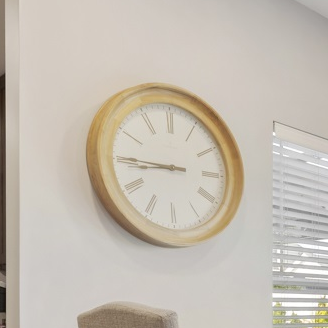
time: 8:45
